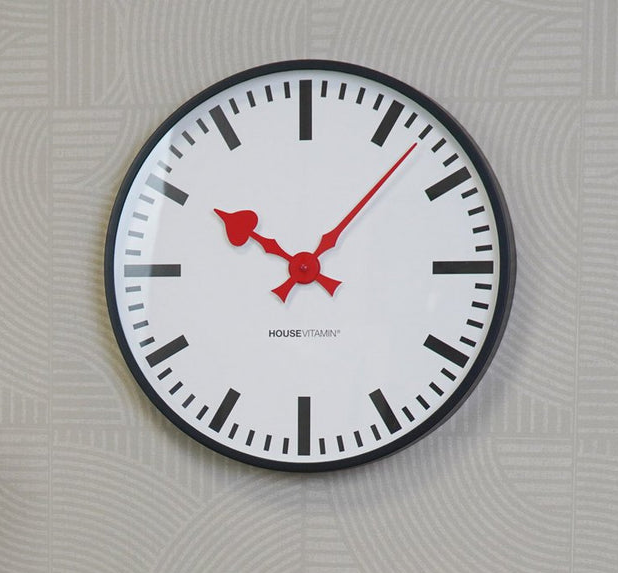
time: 10:07
